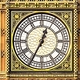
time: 12:34
